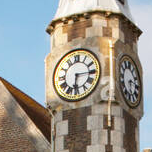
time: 6:15
